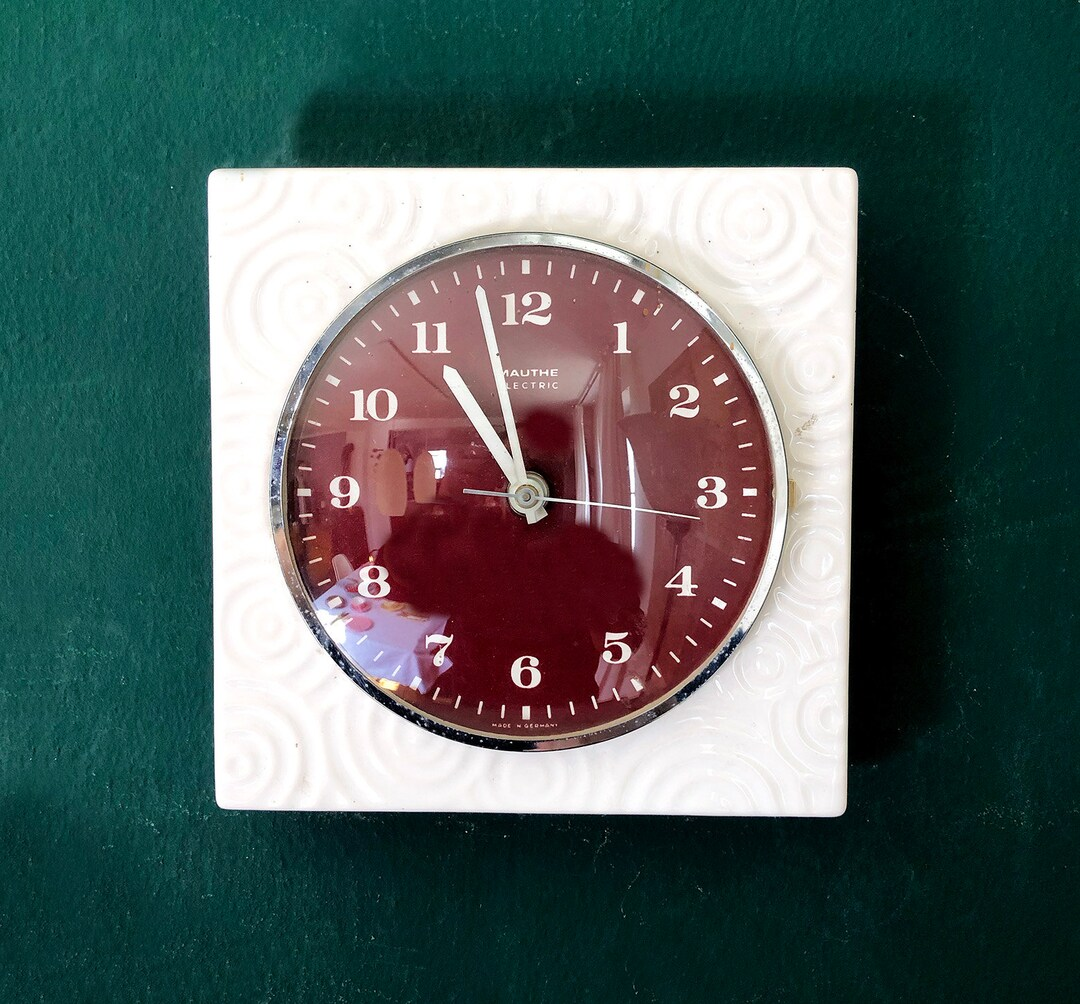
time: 10:57
